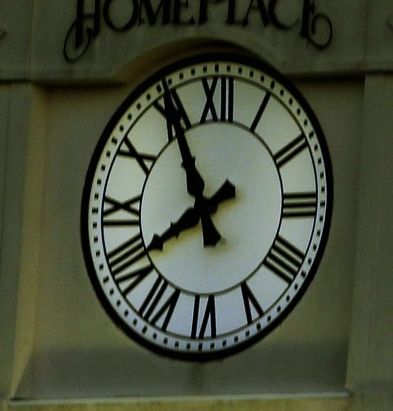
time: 7:54
